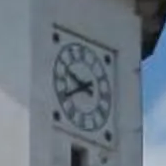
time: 9:40
